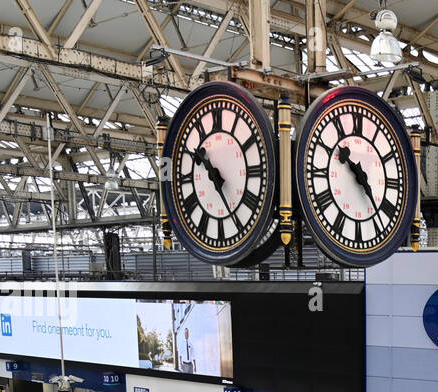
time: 10:24
